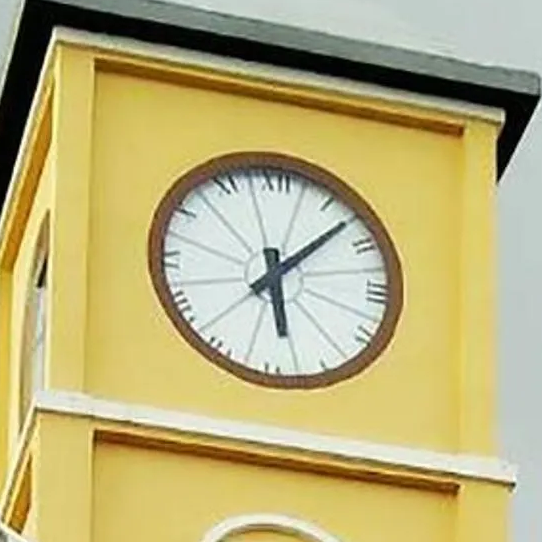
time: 6:07
